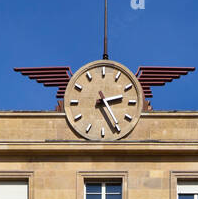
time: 2:25
